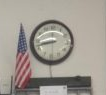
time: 8:42
